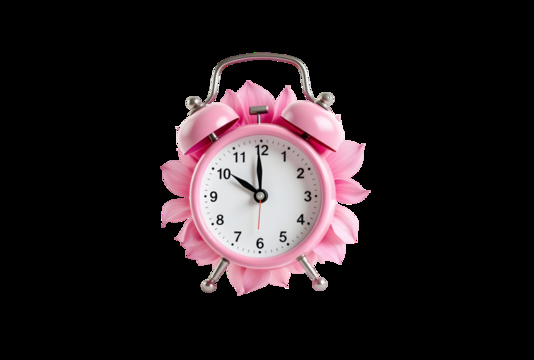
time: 9:59
